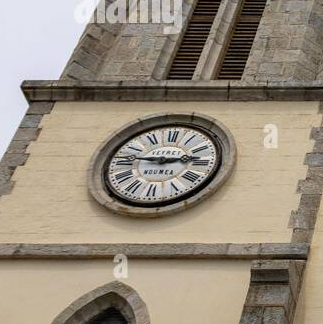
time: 2:46
